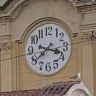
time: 3:39
